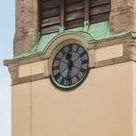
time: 11:32
